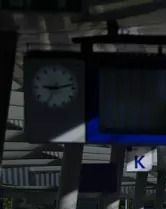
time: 9:12
